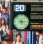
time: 5:15
